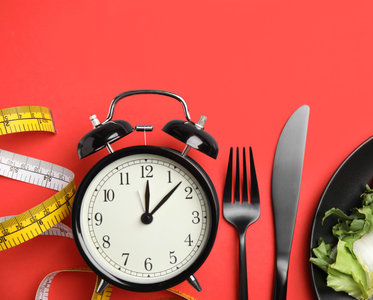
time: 12:07
